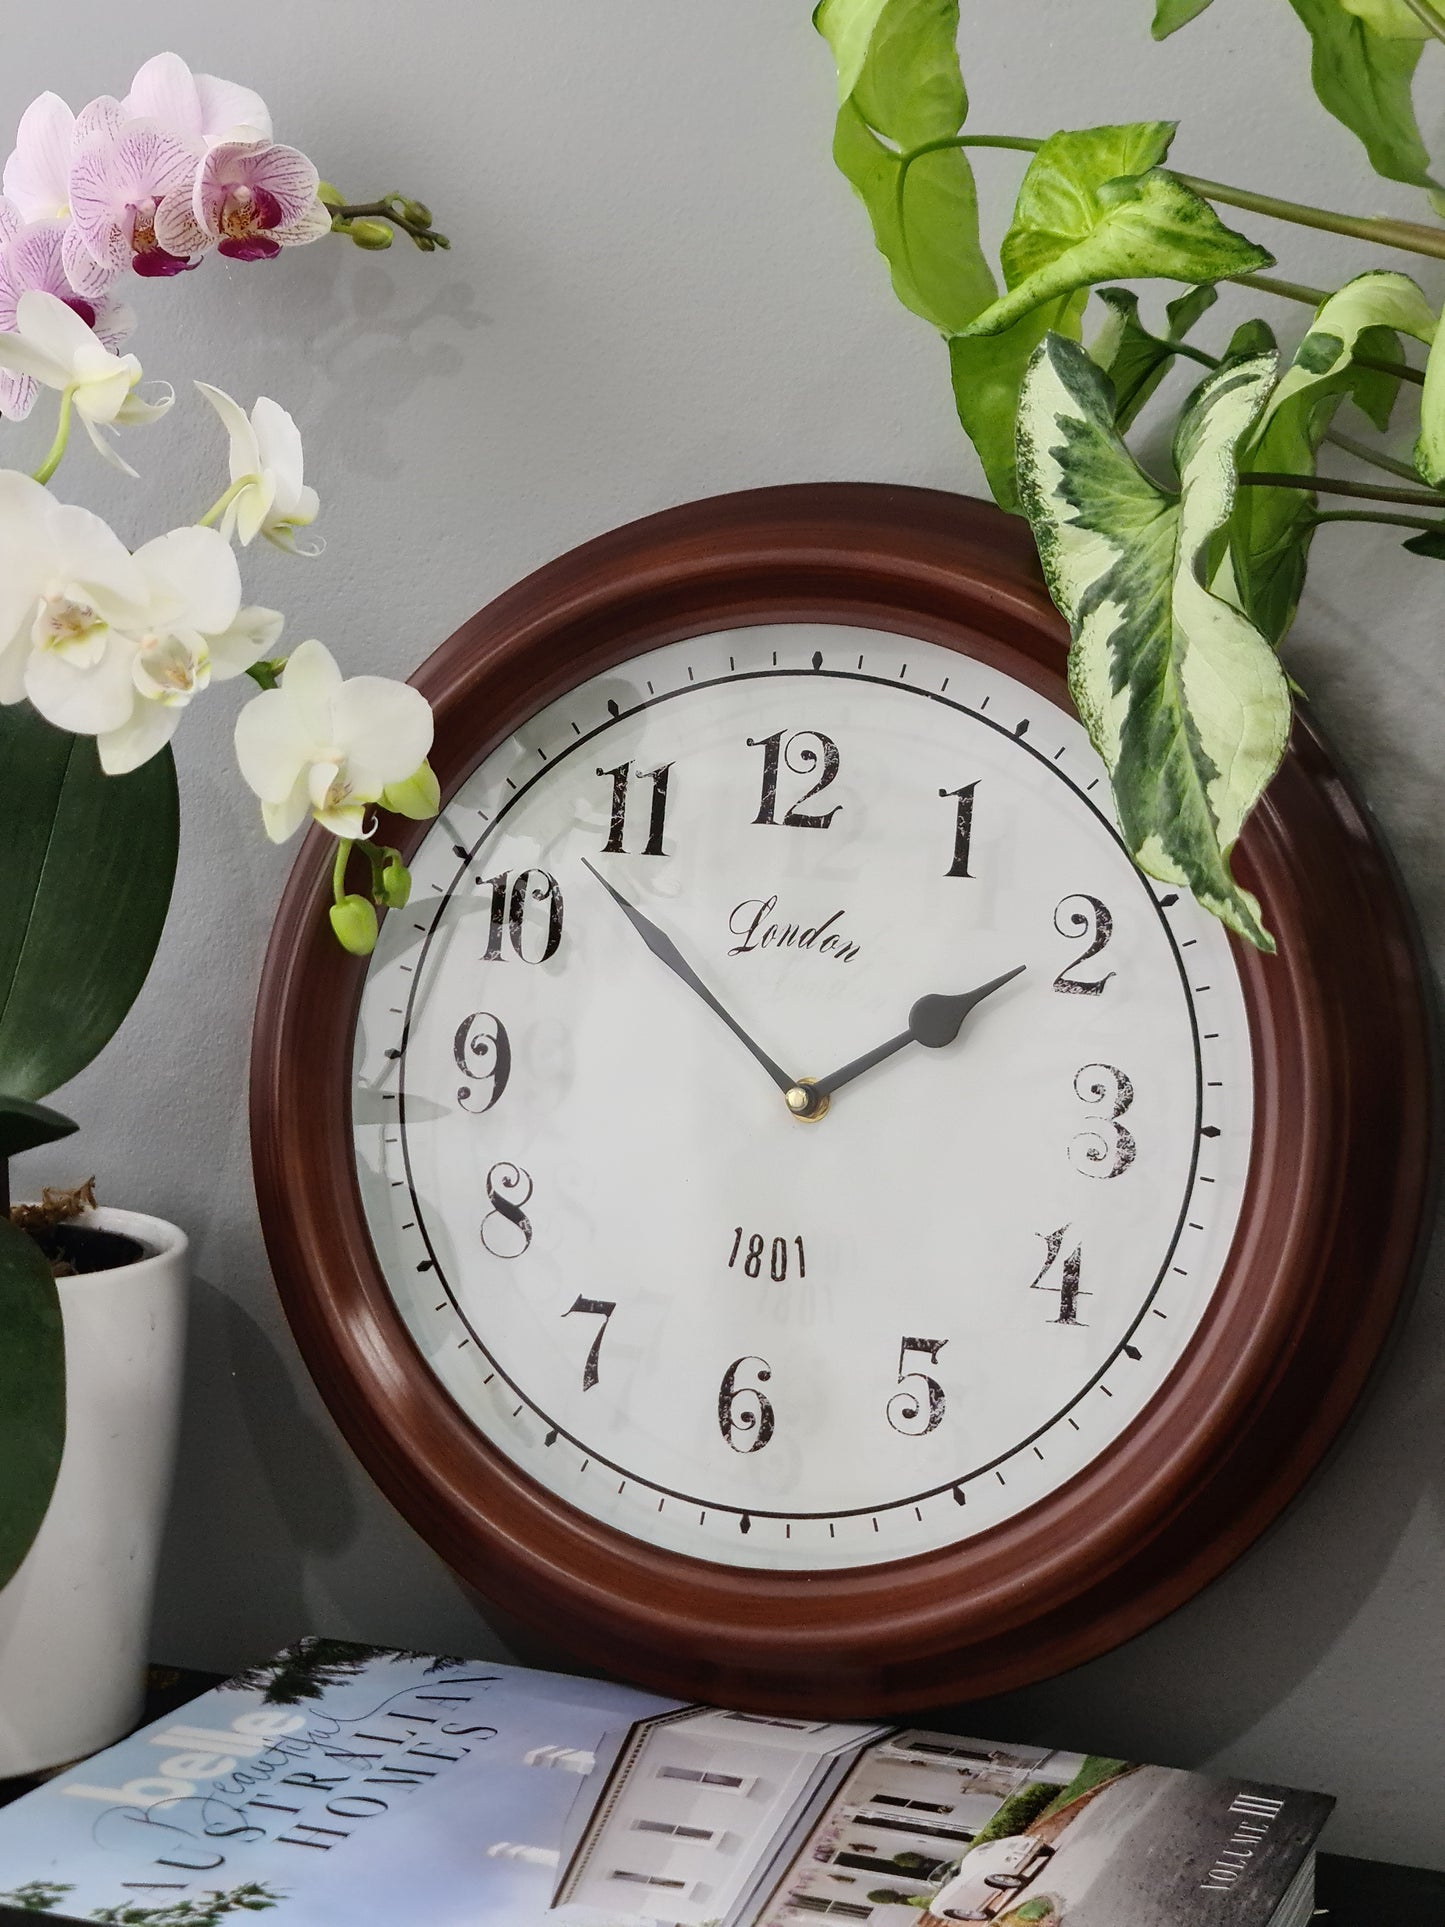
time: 1:52
